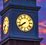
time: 7:40
